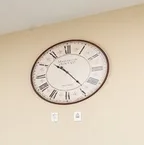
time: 10:23
